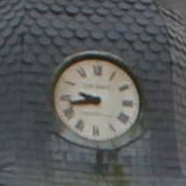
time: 9:42
